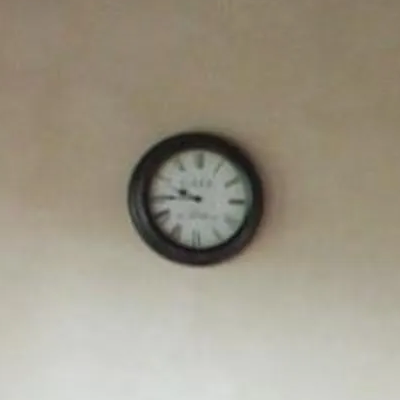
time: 9:44
